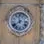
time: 11:38
